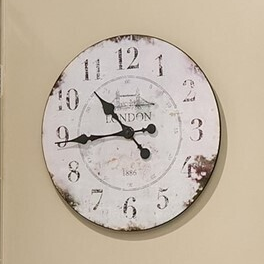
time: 10:44
